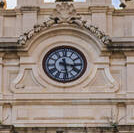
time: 3:28
